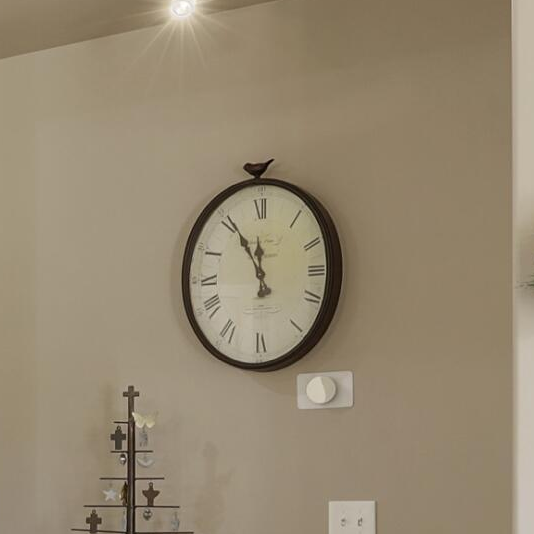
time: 11:55
